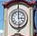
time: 3:00
